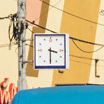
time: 3:29
